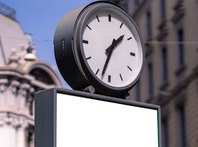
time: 1:33
